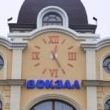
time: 5:01
